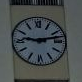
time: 9:12
